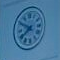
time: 7:49
